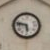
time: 5:47
